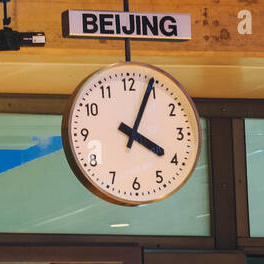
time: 4:04
